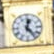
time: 12:23
